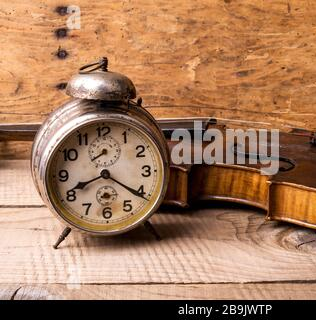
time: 8:20
